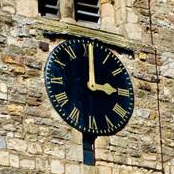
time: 3:00
